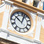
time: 10:02
